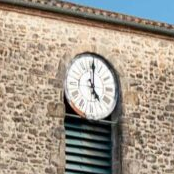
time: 5:00
